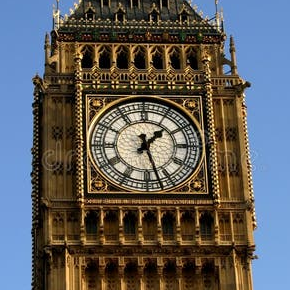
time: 1:27
